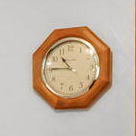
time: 10:45
